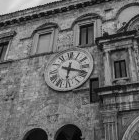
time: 6:18
